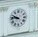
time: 9:45
